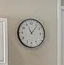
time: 11:06
